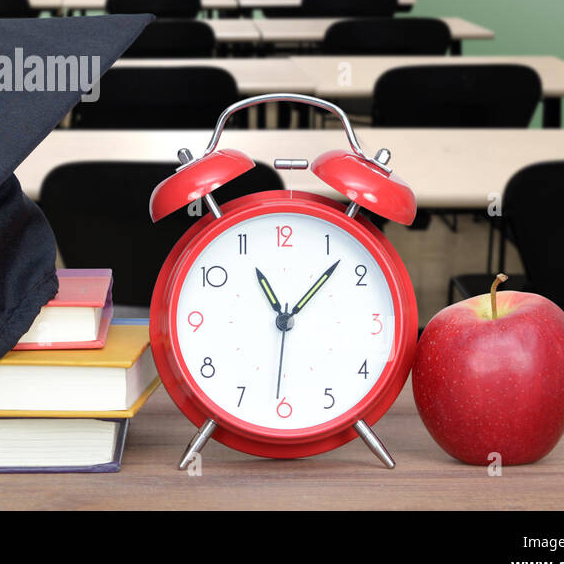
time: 11:07
